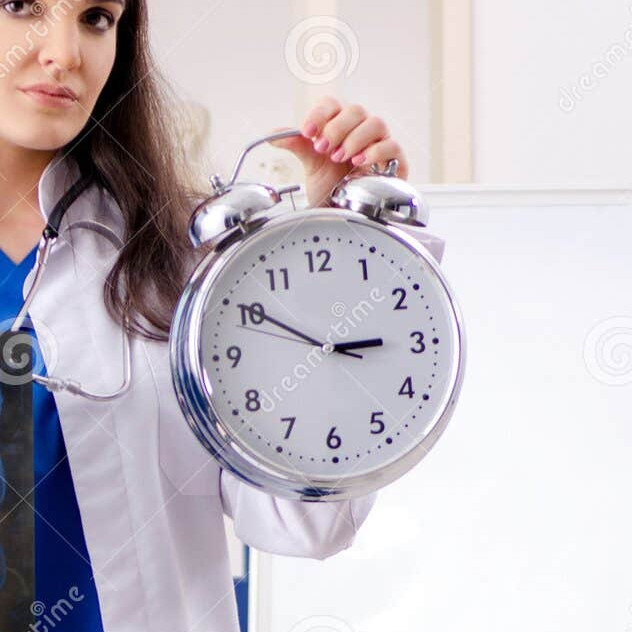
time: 2:50
